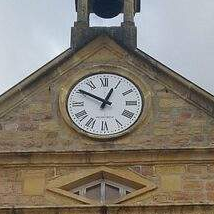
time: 12:50
